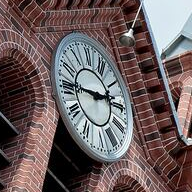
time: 2:46
